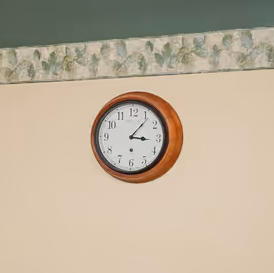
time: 3:06
